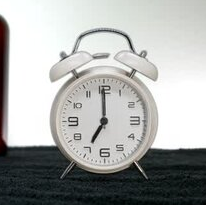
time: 7:00
